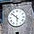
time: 5:51
